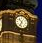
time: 10:34
